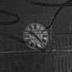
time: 10:23
